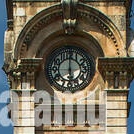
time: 6:00
